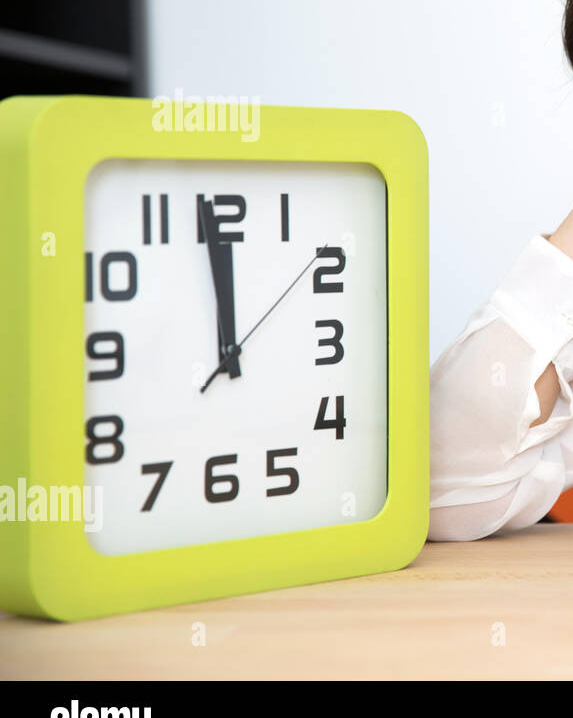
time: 11:58
